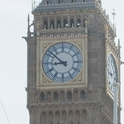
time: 8:51
